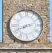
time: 8:11
